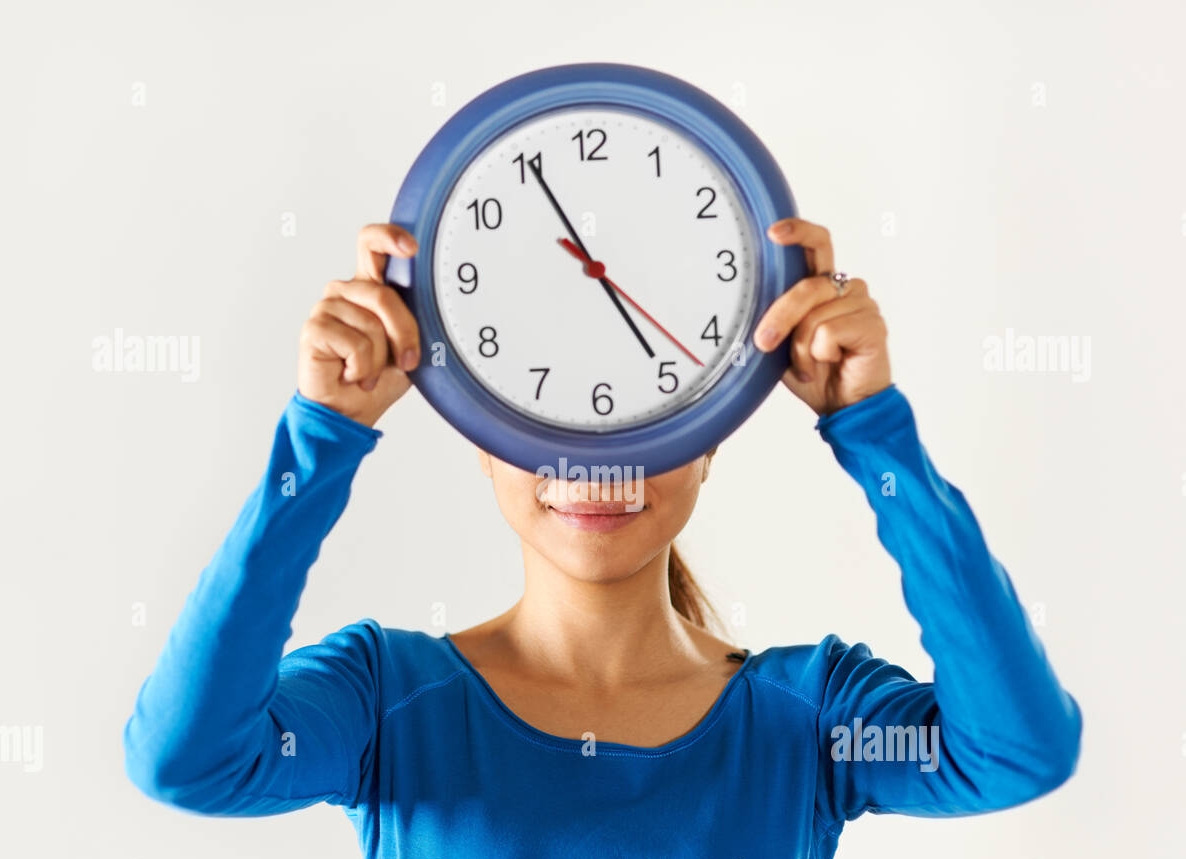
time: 4:55
